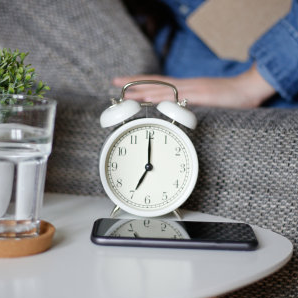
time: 7:00
